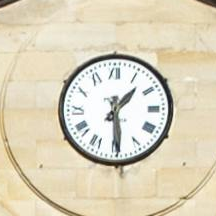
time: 1:29
